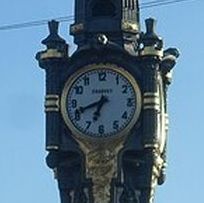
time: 6:41
